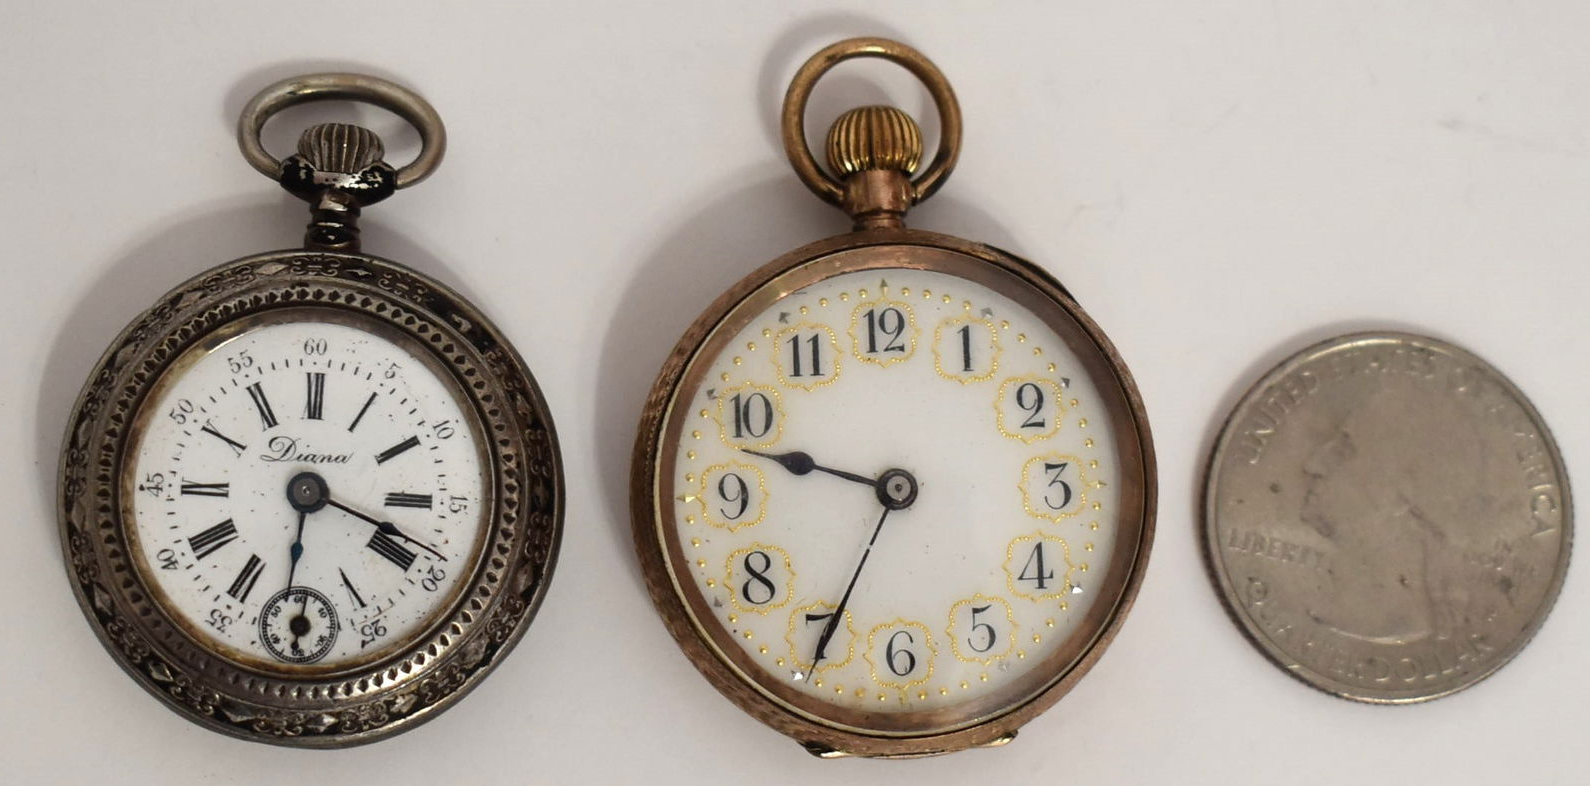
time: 9:34
